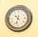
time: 10:32
